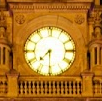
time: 7:30
